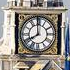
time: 7:59
